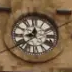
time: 8:36
